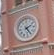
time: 2:24
